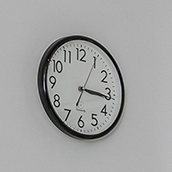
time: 3:15
